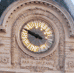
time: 9:48
